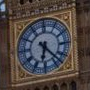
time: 6:22
